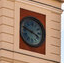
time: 3:47
